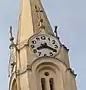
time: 8:19
